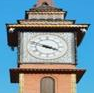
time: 3:48
